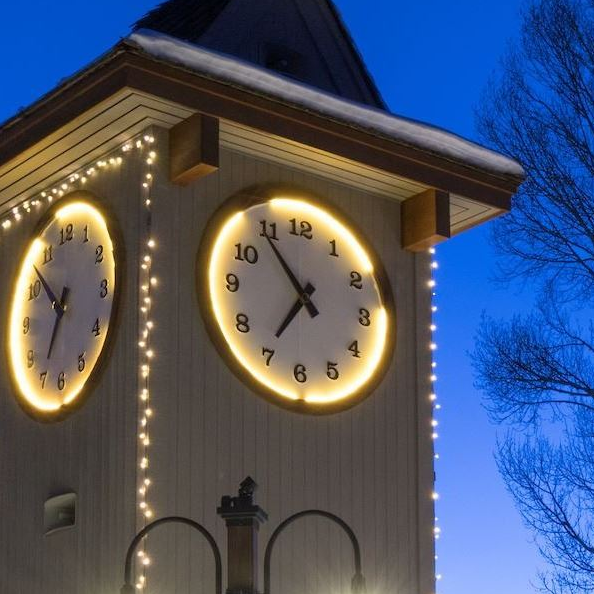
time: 6:54
